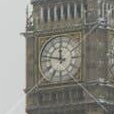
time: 11:47
